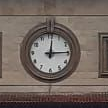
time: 12:14
